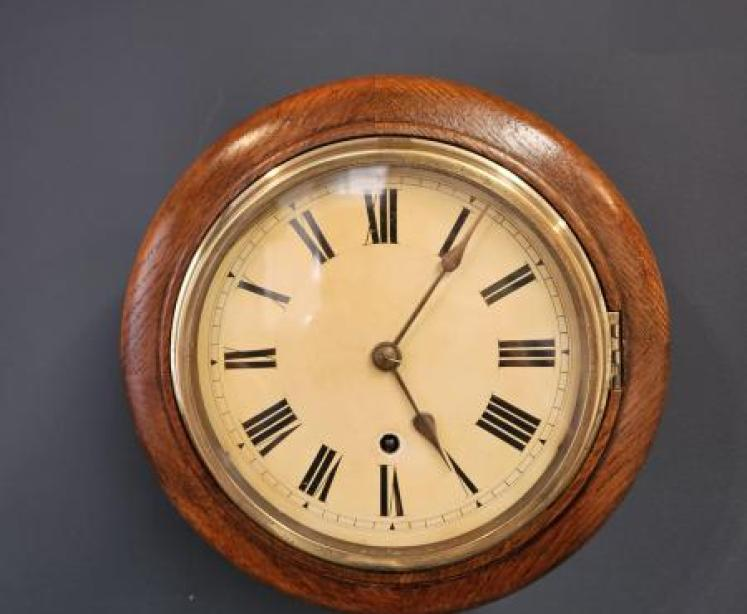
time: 5:05
